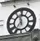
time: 11:36
